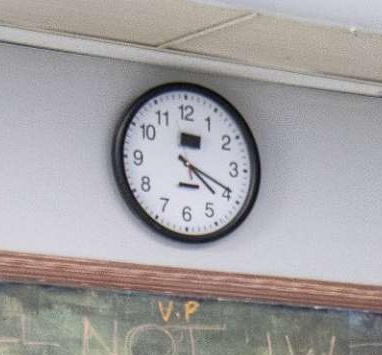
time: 4:19
